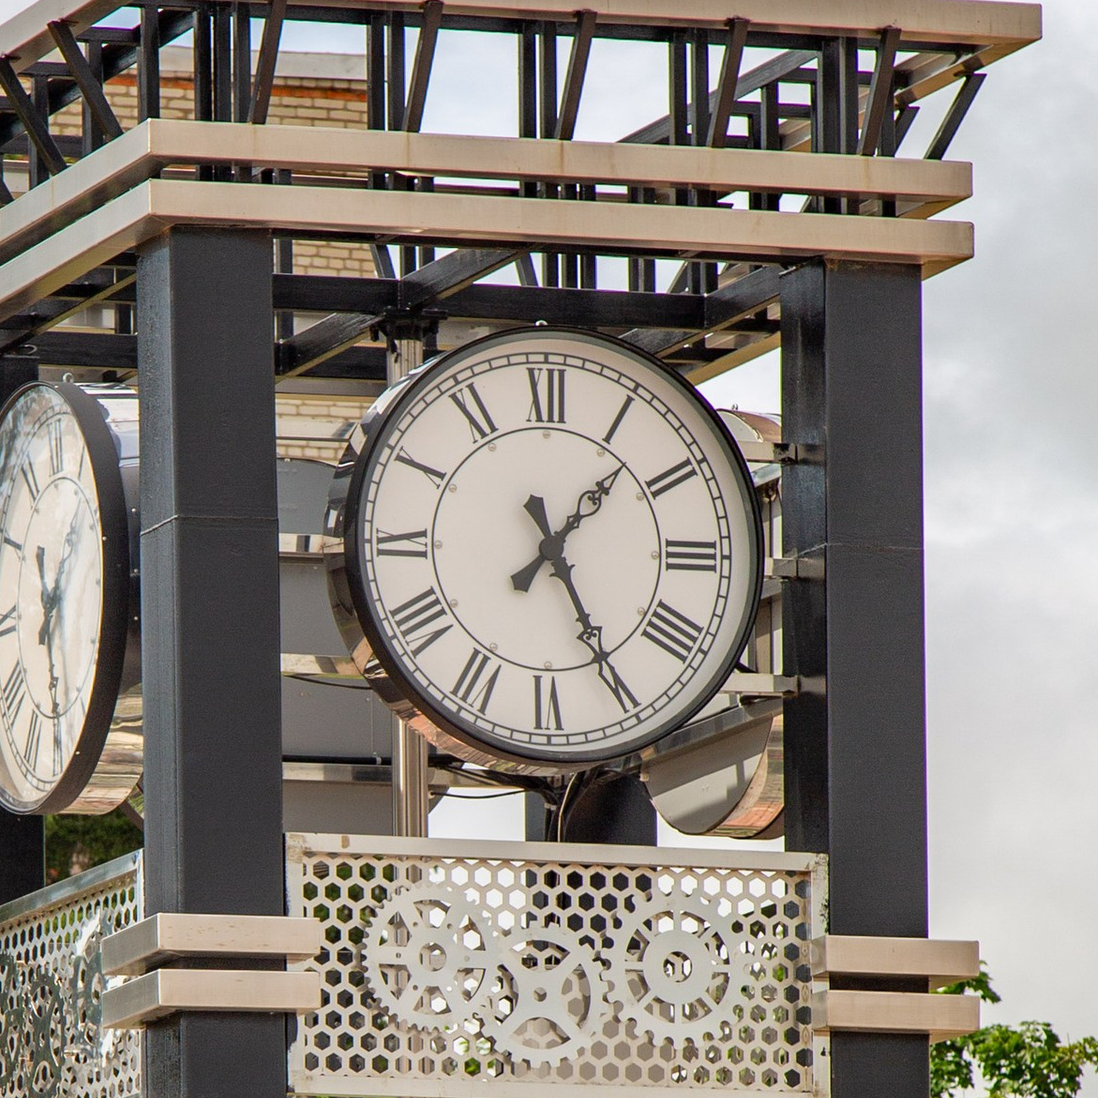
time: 1:25
